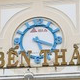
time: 5:18
